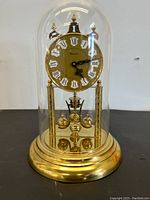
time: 4:14
